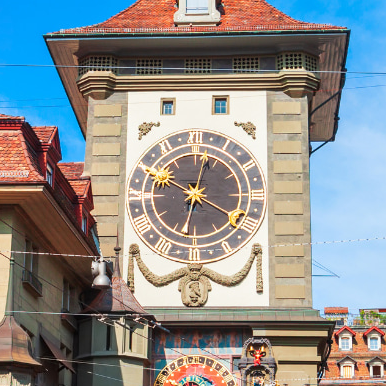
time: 10:02
